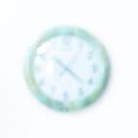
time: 7:22
